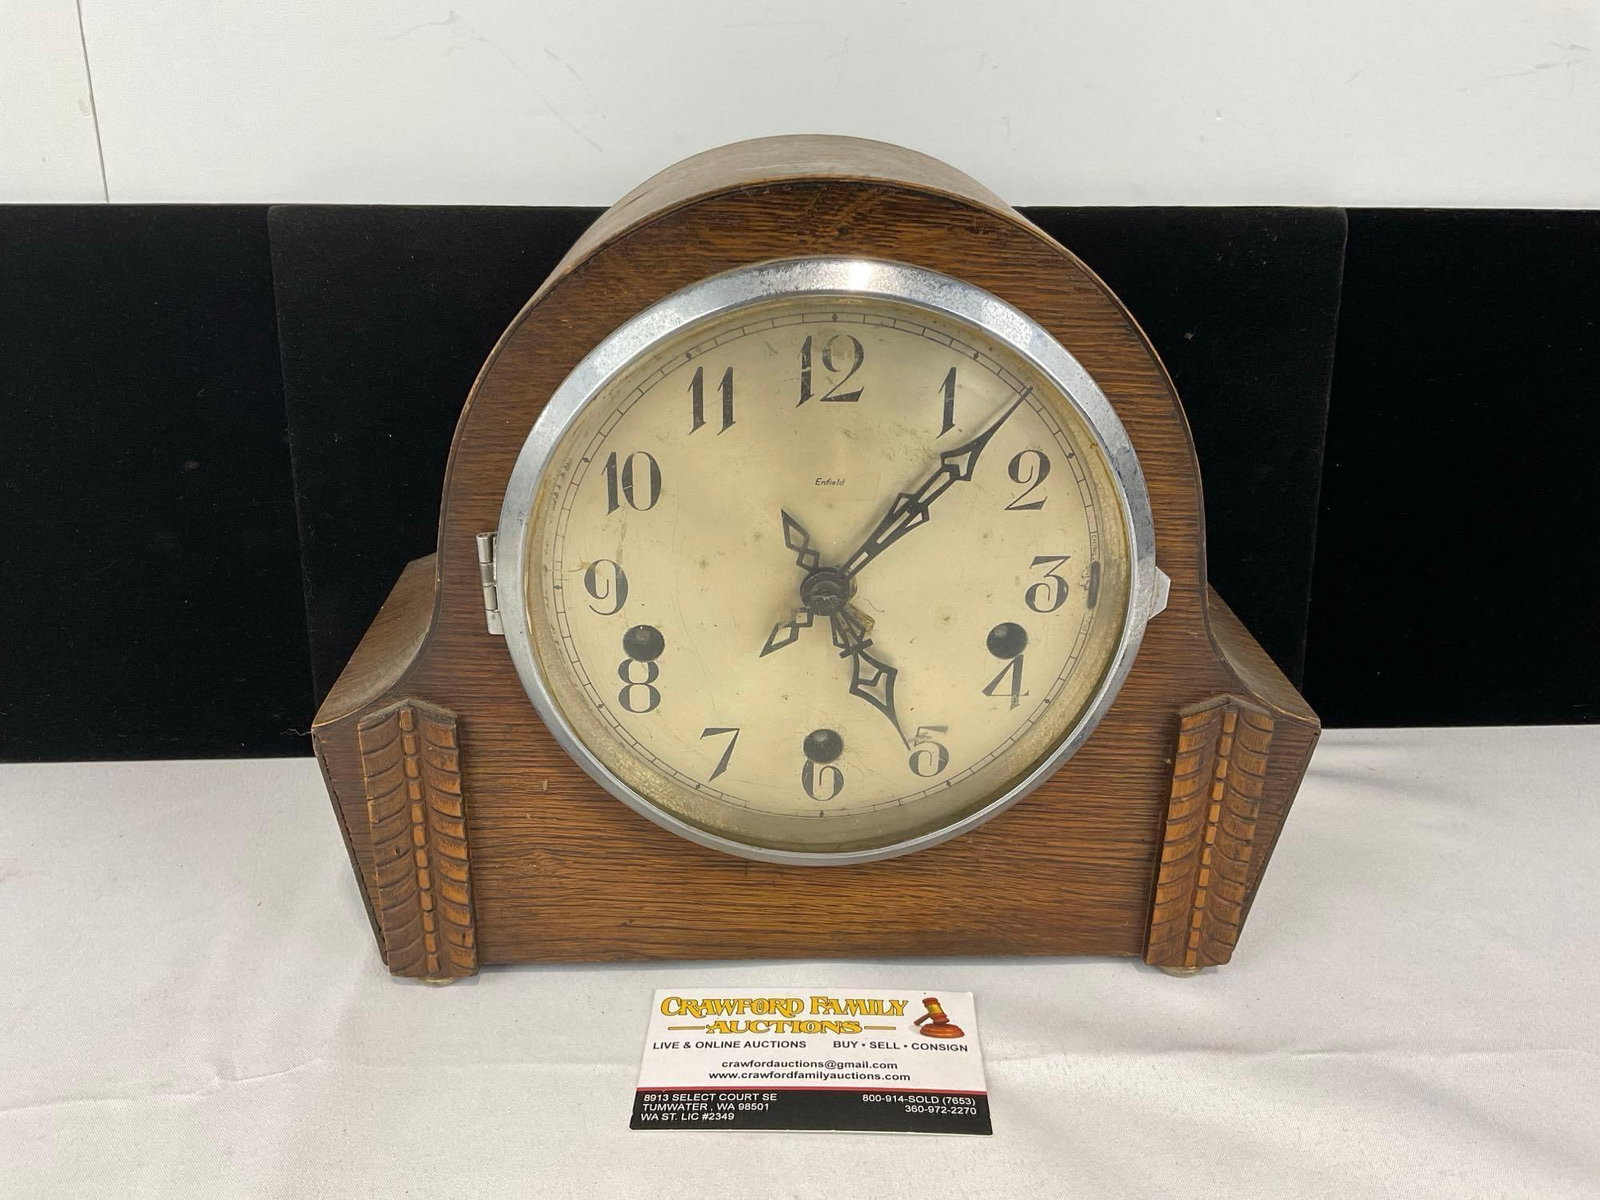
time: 5:07
